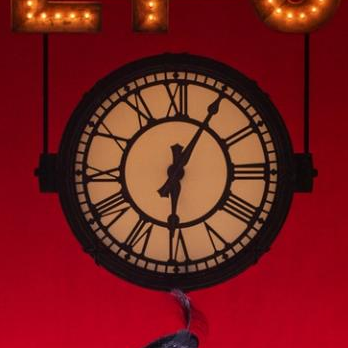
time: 6:05
